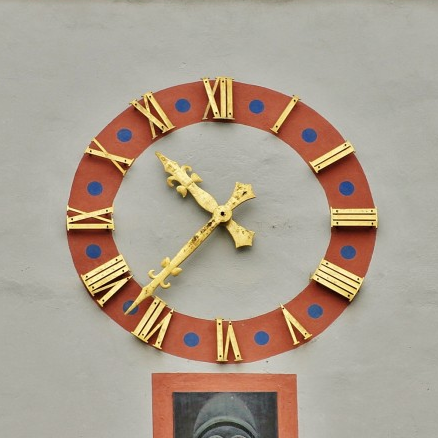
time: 10:37
